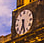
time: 6:27
